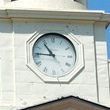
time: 10:45
